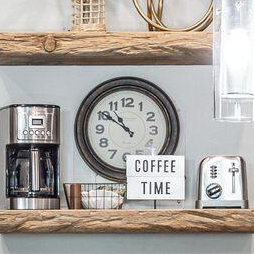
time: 10:50
